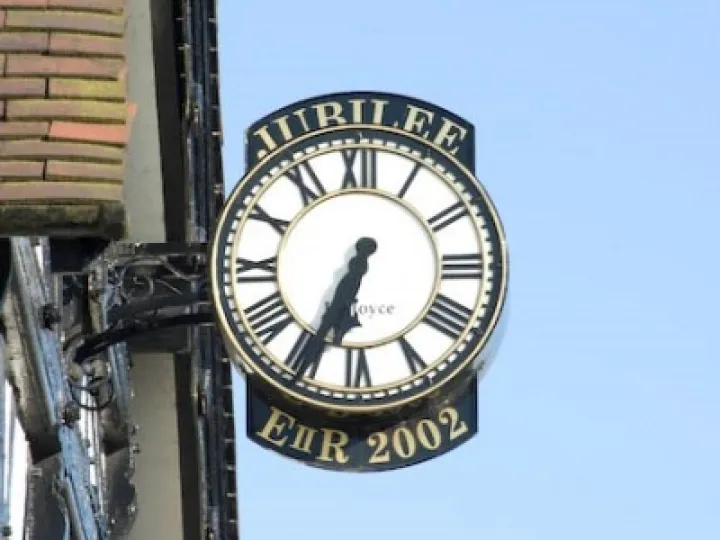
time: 6:34
